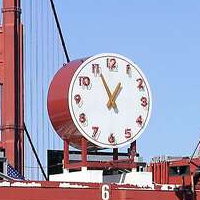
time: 12:55
